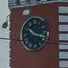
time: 10:17
